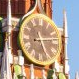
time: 5:13
